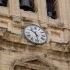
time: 10:28
